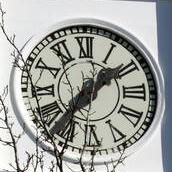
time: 1:36
